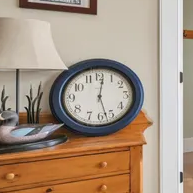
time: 12:27
